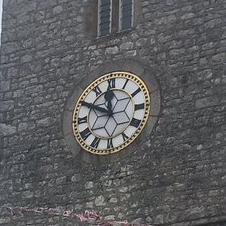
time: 11:49
